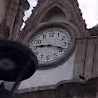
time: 9:18
